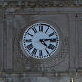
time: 4:13
